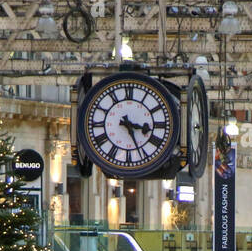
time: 3:26
